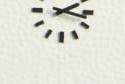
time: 2:17
